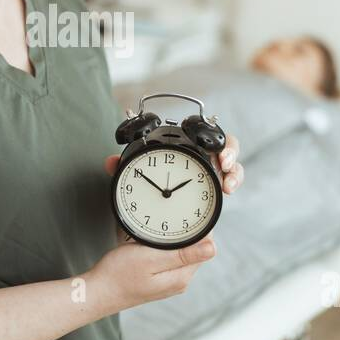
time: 1:50
